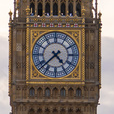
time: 4:37
